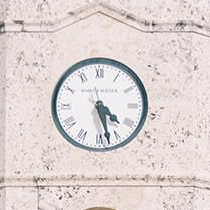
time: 4:27
